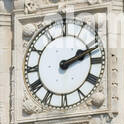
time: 2:12
